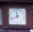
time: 11:40
